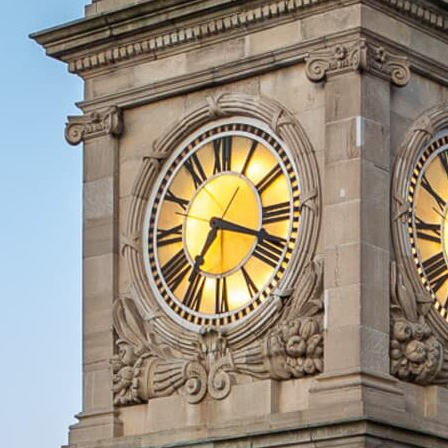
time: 7:18
